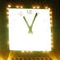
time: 11:04
